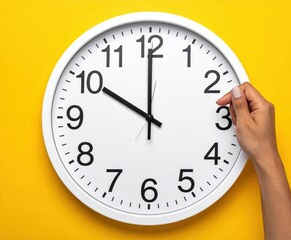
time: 10:00
